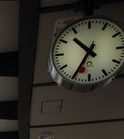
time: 10:35
